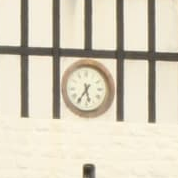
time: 5:35
